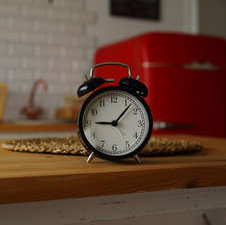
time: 9:07
